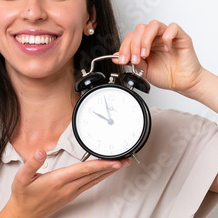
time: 9:57
